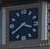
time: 3:39
